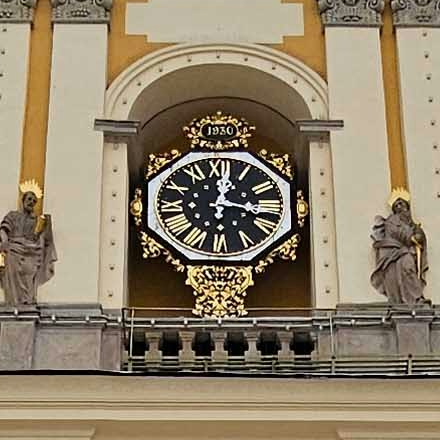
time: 12:16
